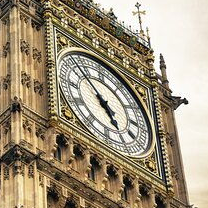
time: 4:52
